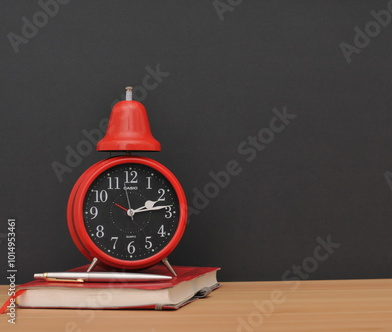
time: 2:13
